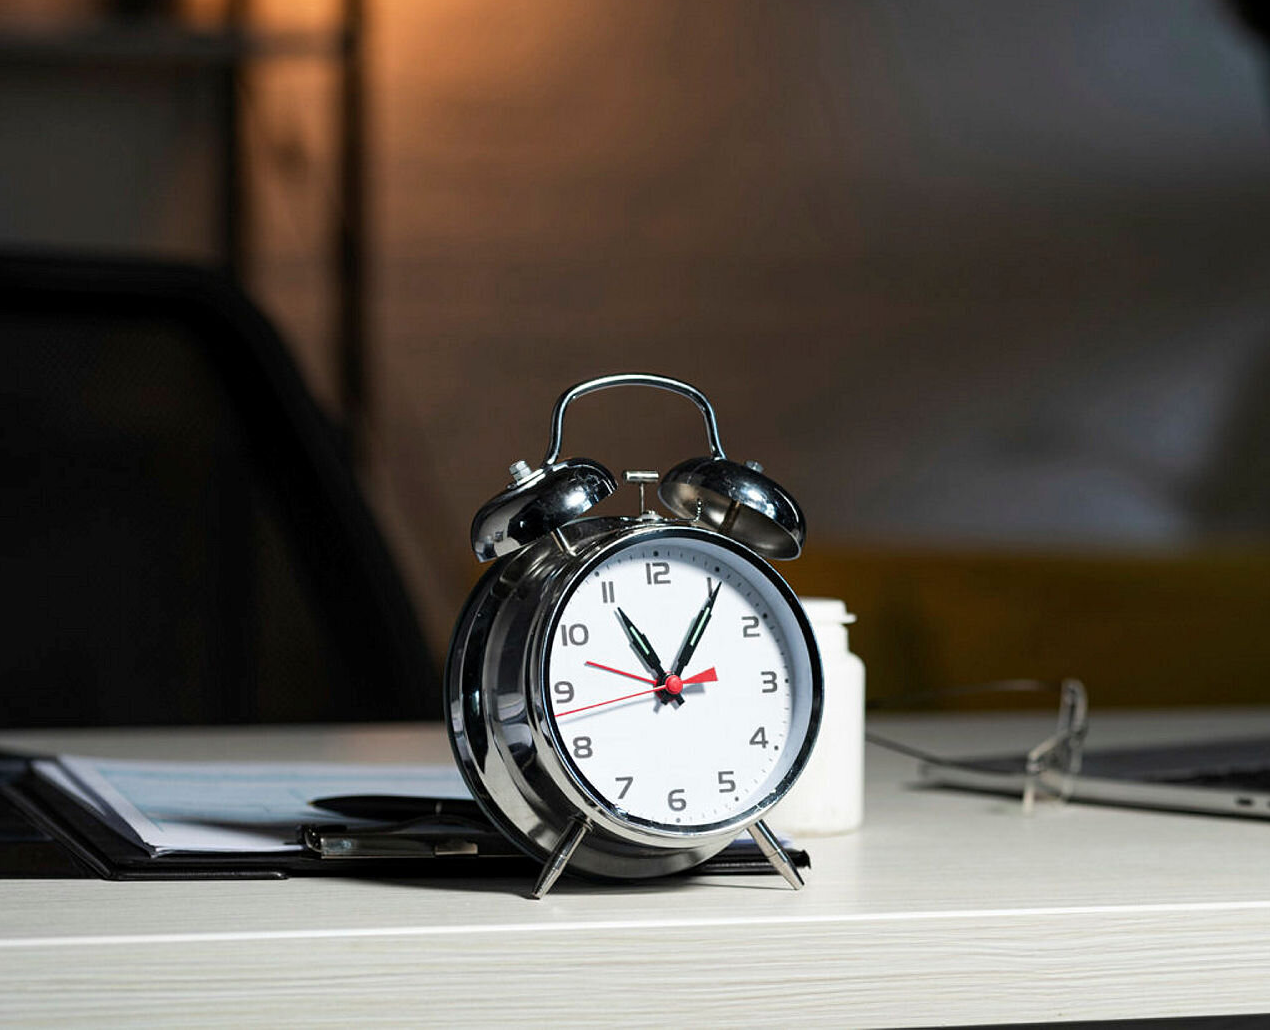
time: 11:05
